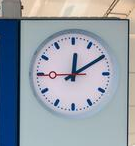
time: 12:09
